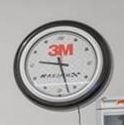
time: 9:27
